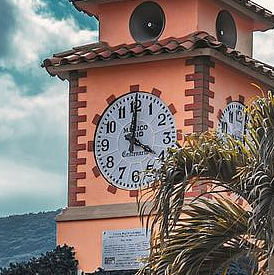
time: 4:00
